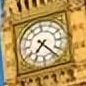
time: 7:23
